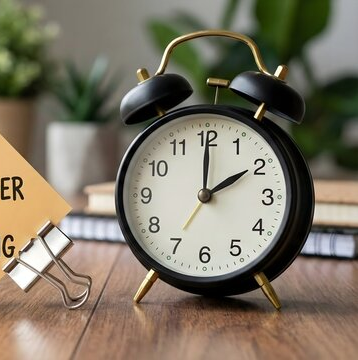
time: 2:00
